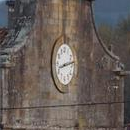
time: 8:12
